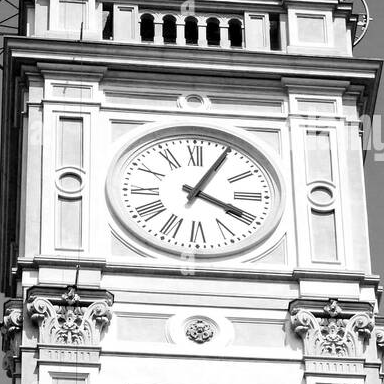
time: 4:04
